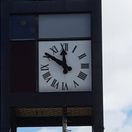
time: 11:50
